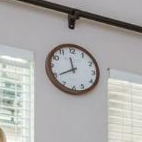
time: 11:40
